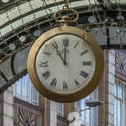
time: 11:00
